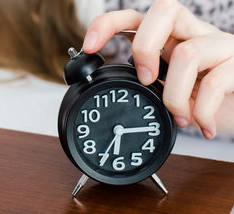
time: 6:14
